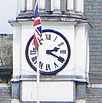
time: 2:19
